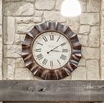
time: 3:09
